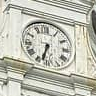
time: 6:32
